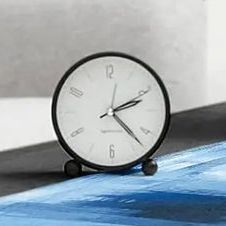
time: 2:23
